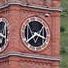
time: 3:40
